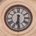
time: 6:29
